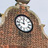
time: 11:46
